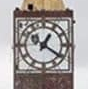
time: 1:20
